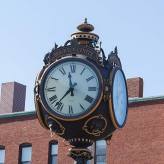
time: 11:36
